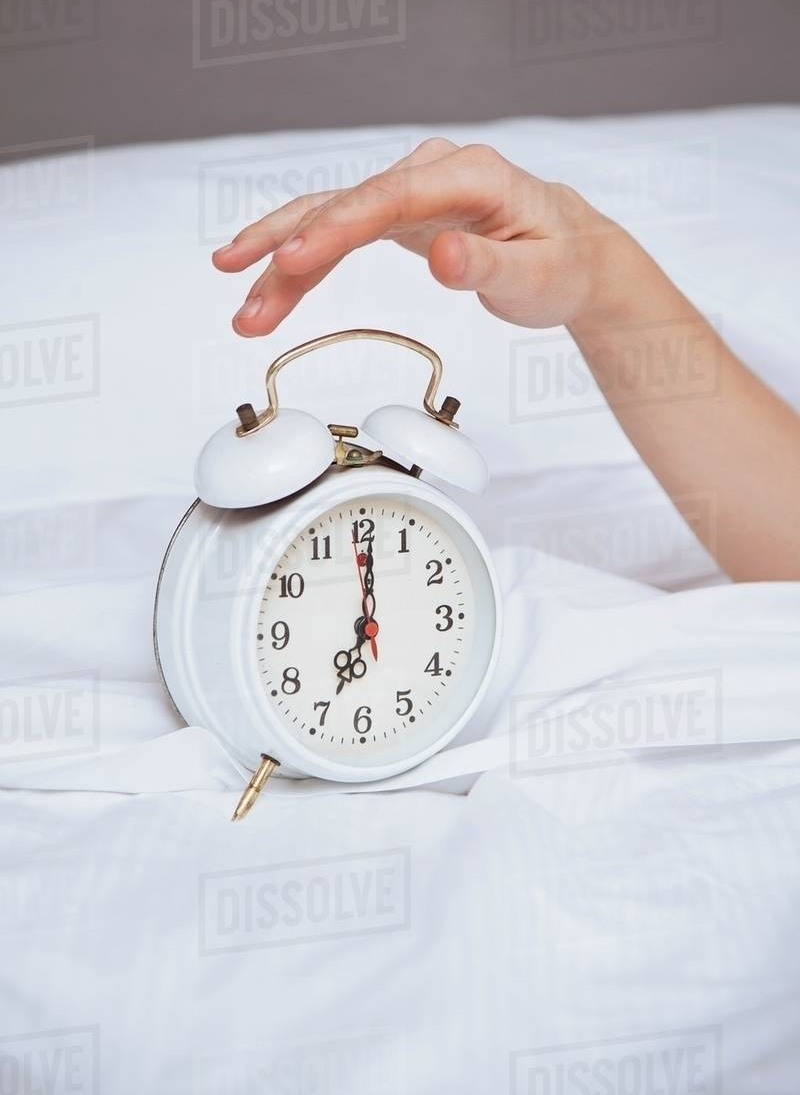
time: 7:00
